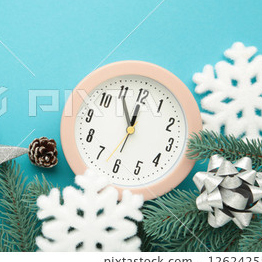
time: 11:54
